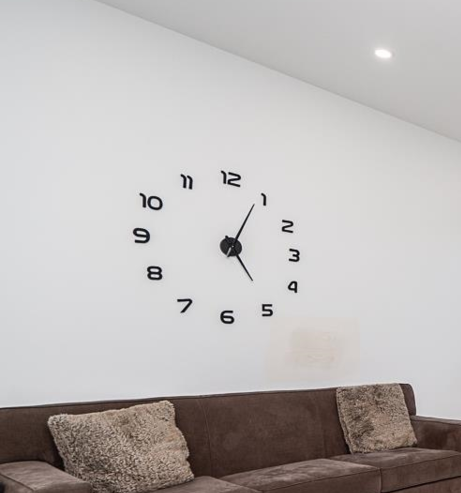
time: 5:04
